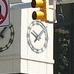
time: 10:07
